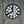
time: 11:40
